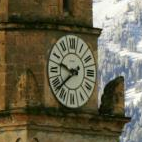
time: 9:38
